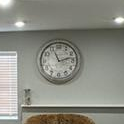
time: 11:12
